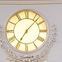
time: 7:07
